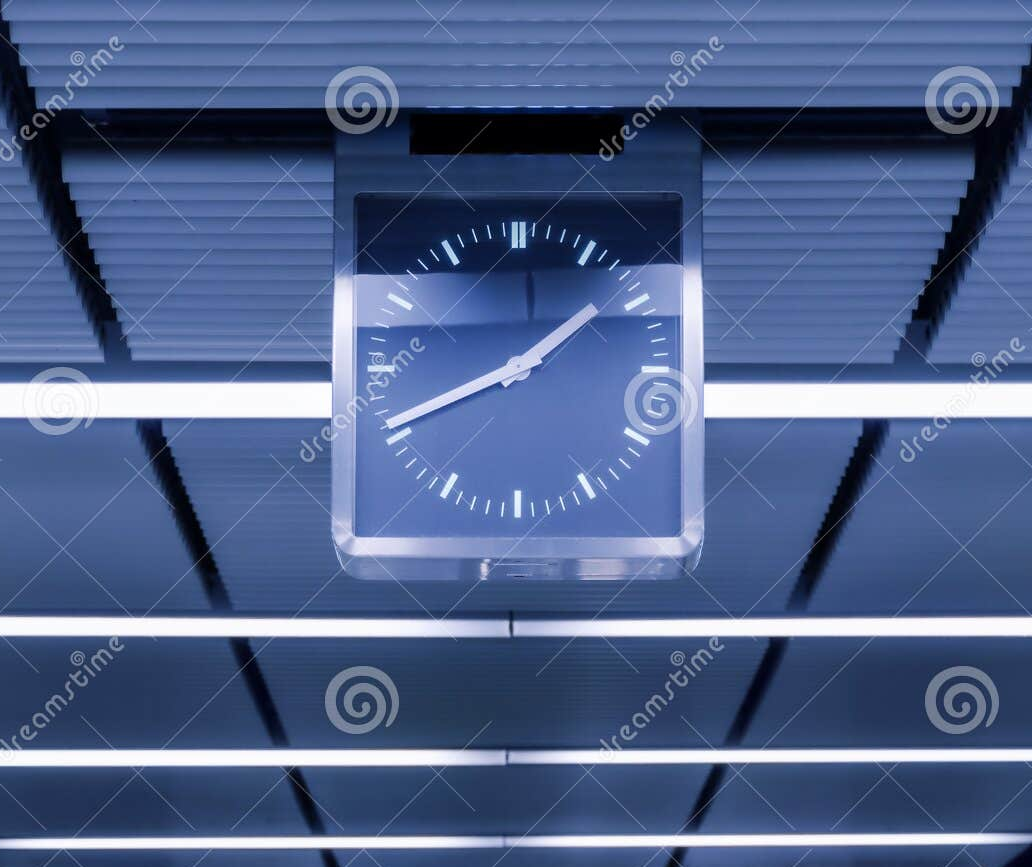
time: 1:40
